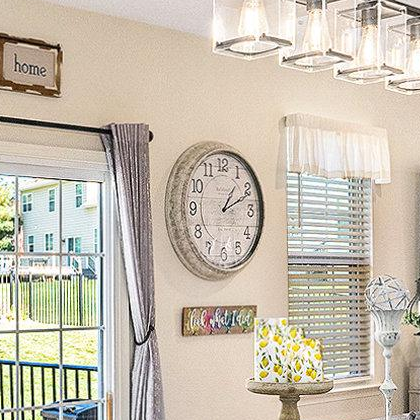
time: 1:11
